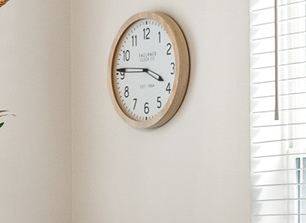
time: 3:45
